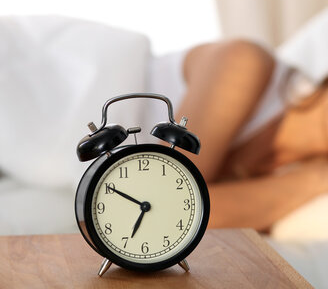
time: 6:50
